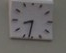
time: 8:32
